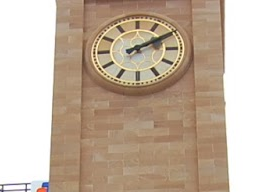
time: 2:09
